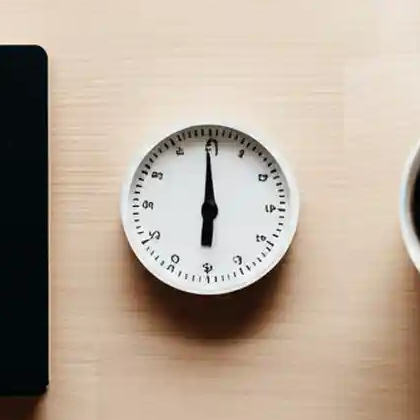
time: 5:59
